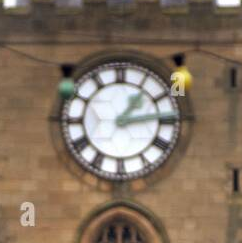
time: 1:13
